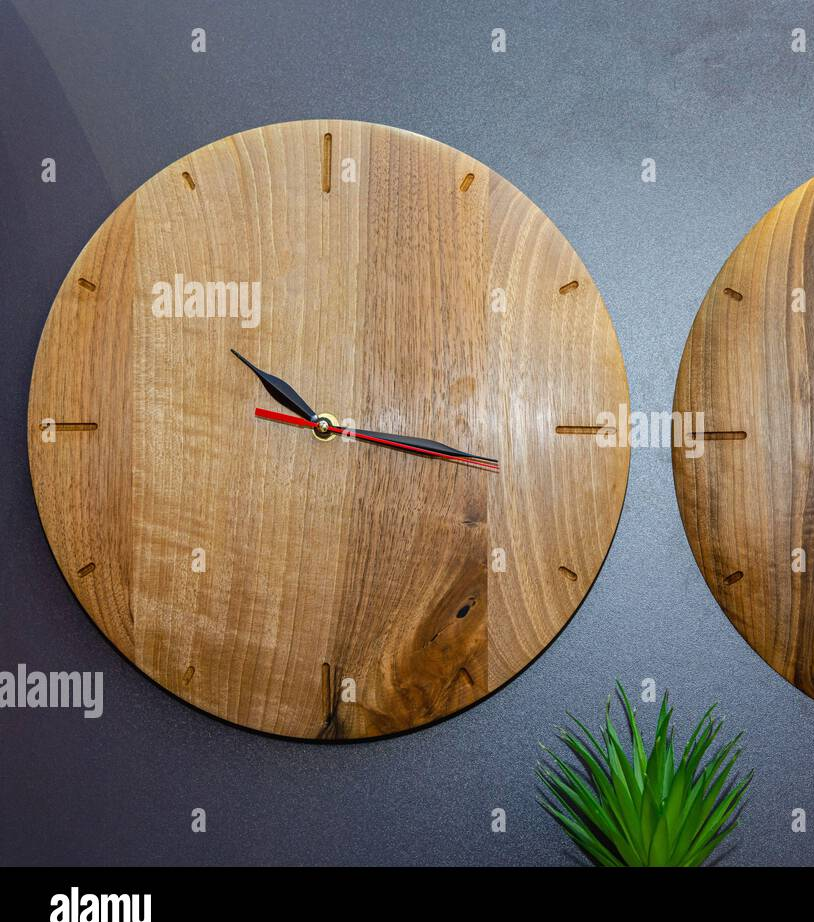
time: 10:15
